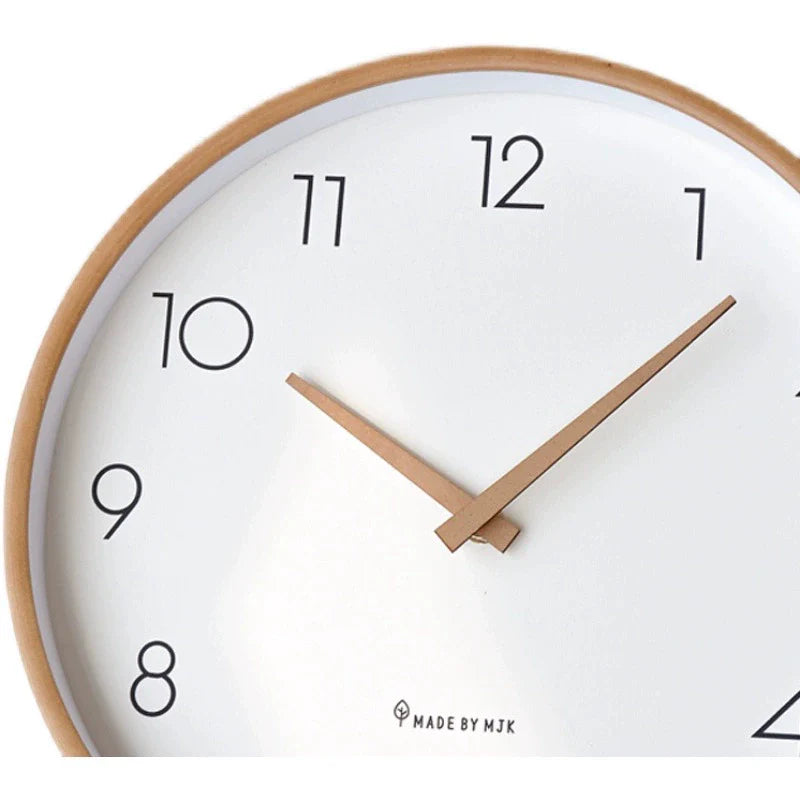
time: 10:07
